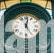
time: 5:01
